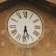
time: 5:31
